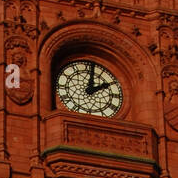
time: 2:01
